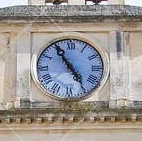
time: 4:54
